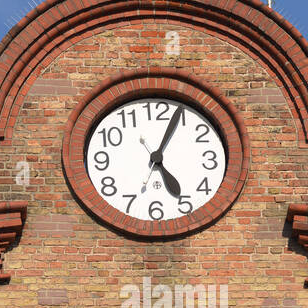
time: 5:04
